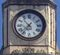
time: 10:36
